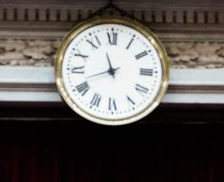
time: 11:41
